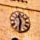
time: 11:32
